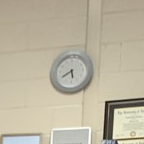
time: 5:40
